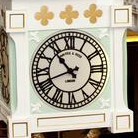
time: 10:41
